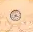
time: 7:18
